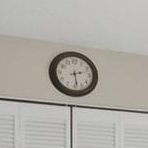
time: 2:28
